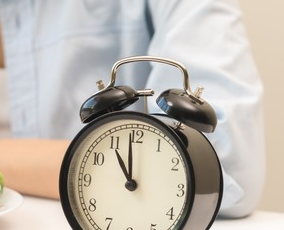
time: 10:59
